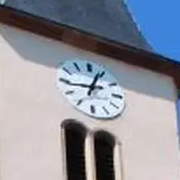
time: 12:43
